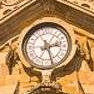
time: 2:25
